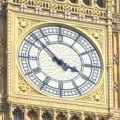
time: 3:52
